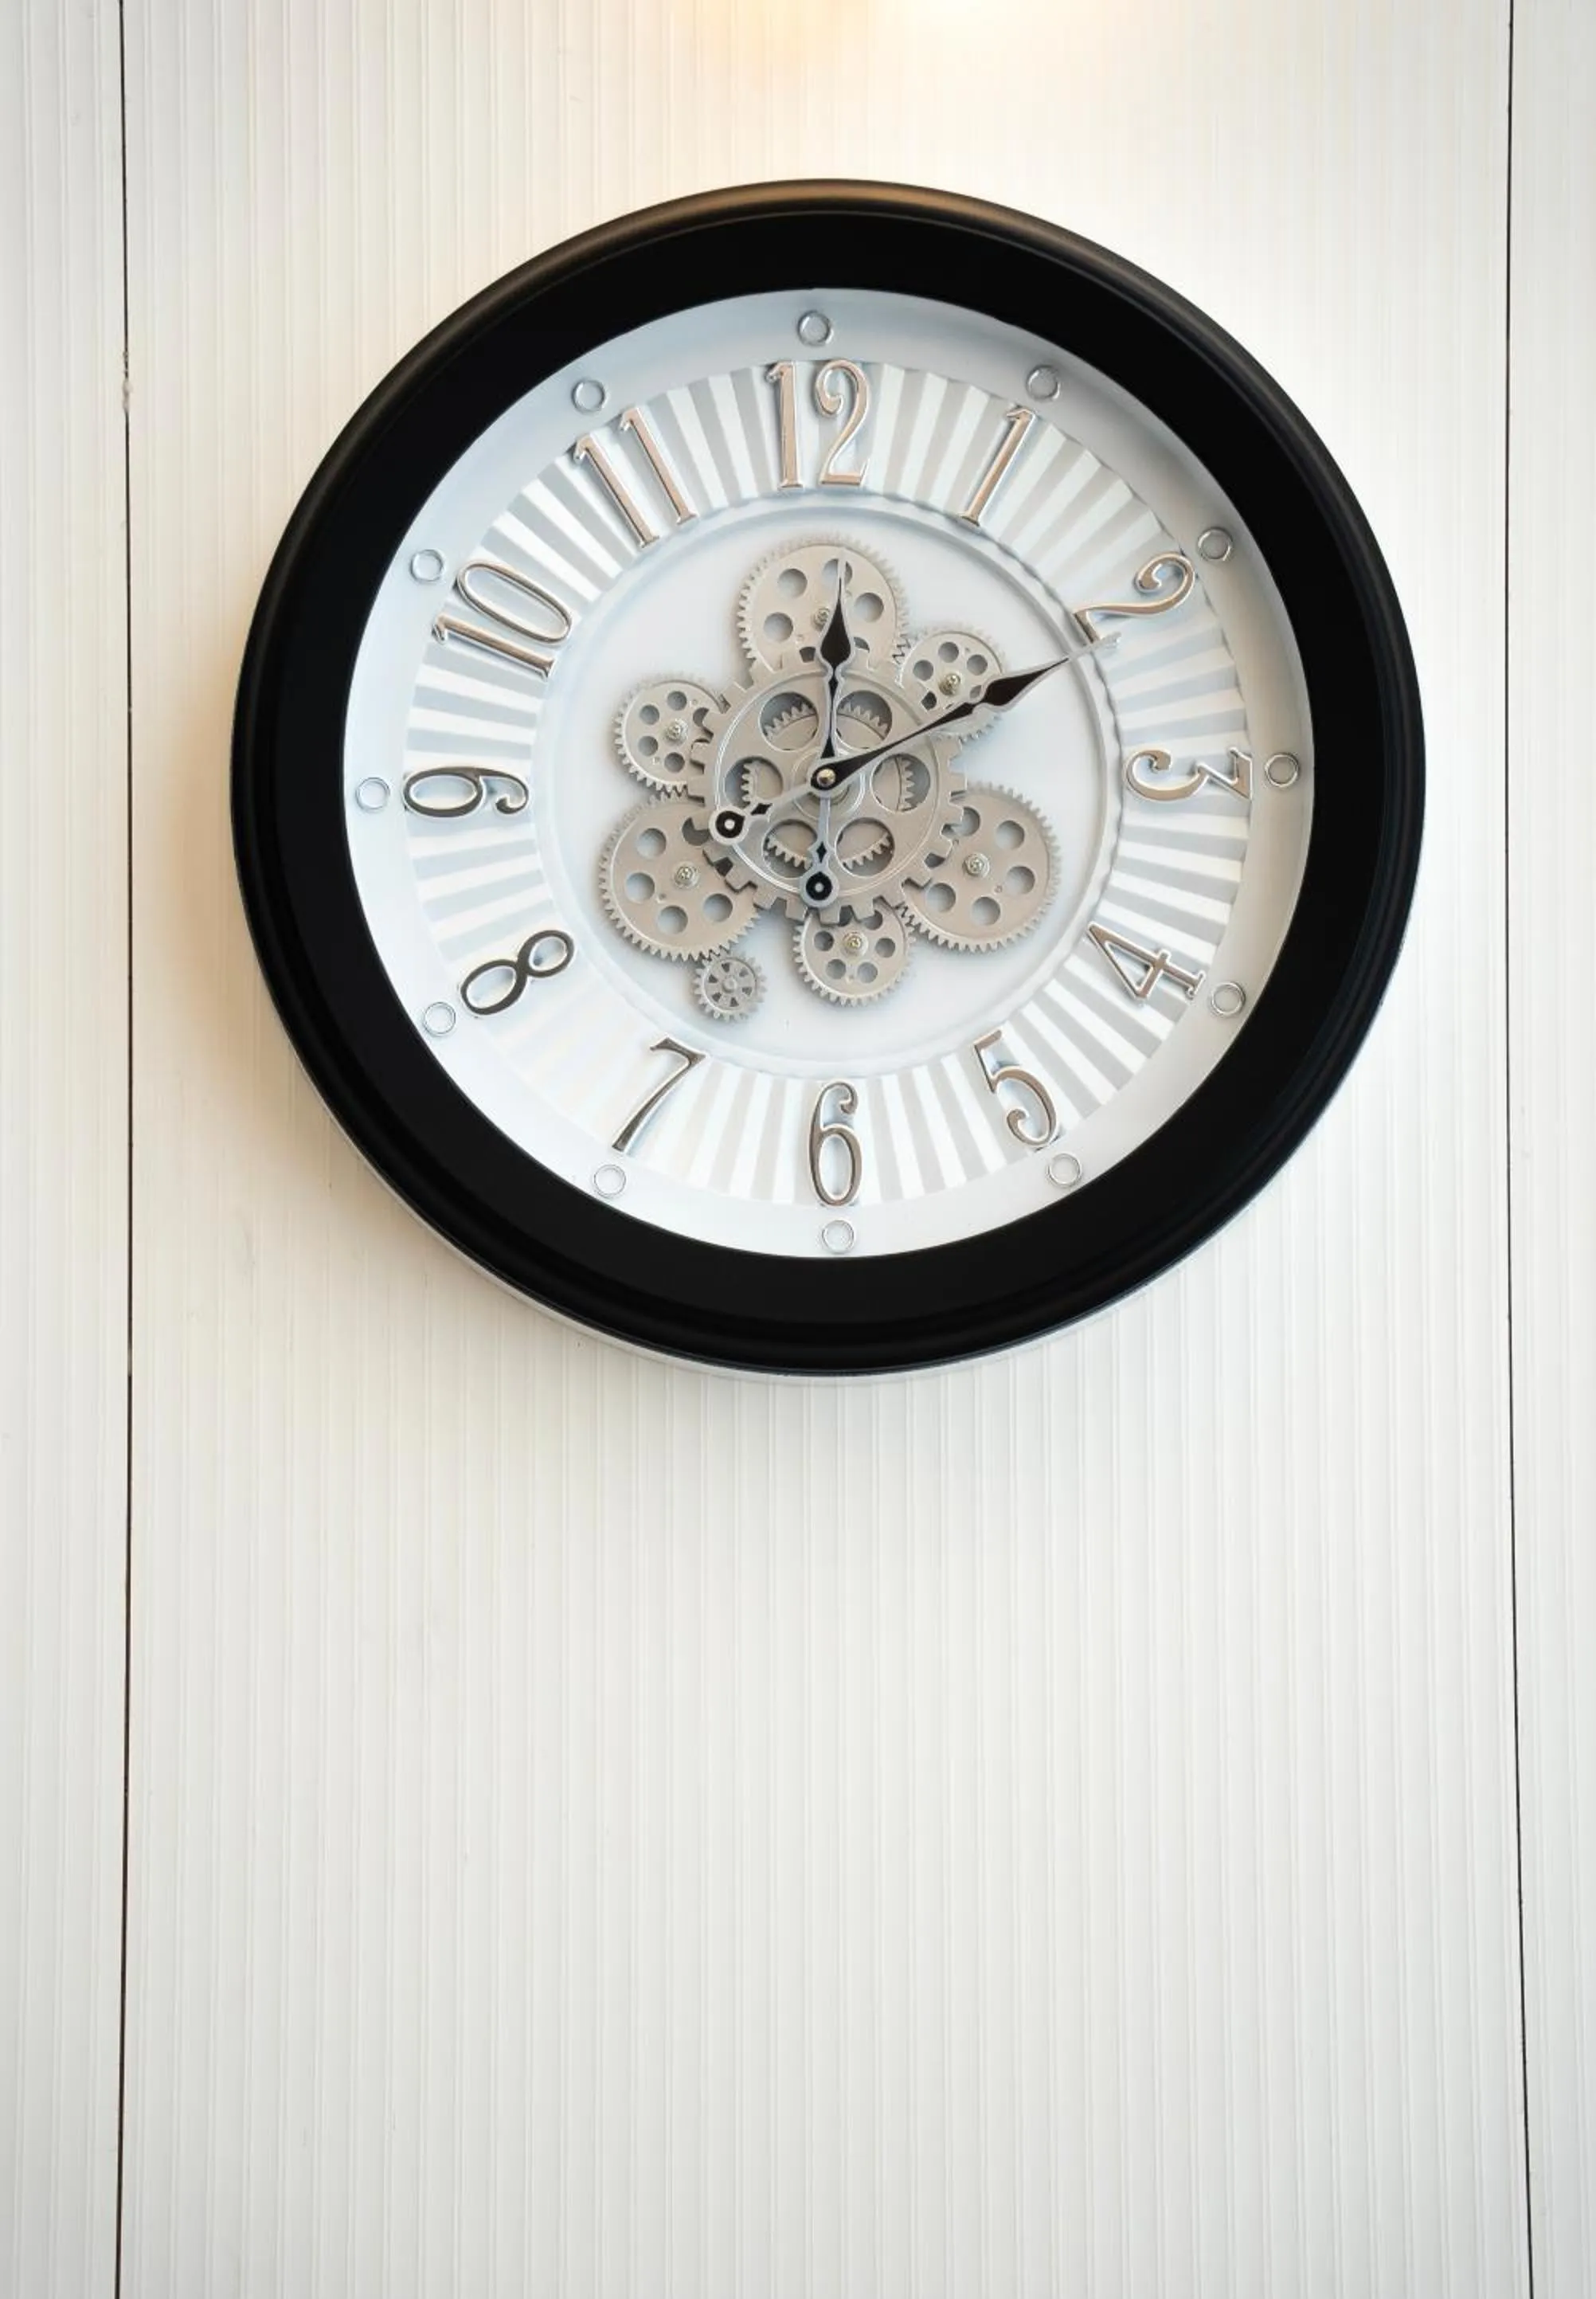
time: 12:10
